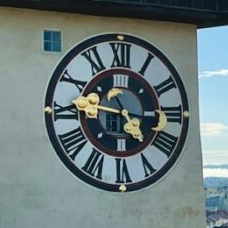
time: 4:46
